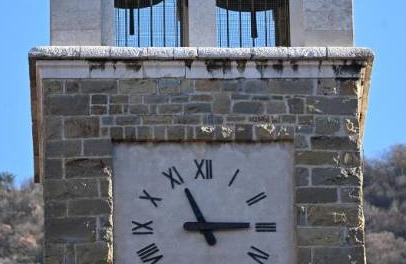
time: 11:14
